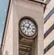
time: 12:46
